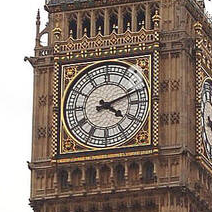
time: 4:11
